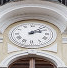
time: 2:07
